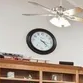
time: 4:22
